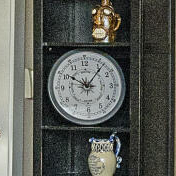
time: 10:06
